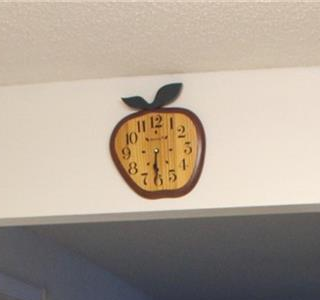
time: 6:31
